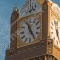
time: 11:25
